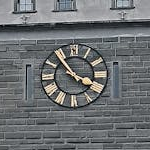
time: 3:53
